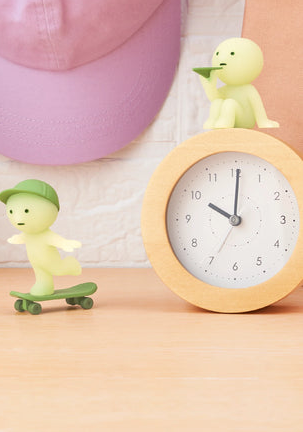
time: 10:00
